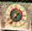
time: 6:36
